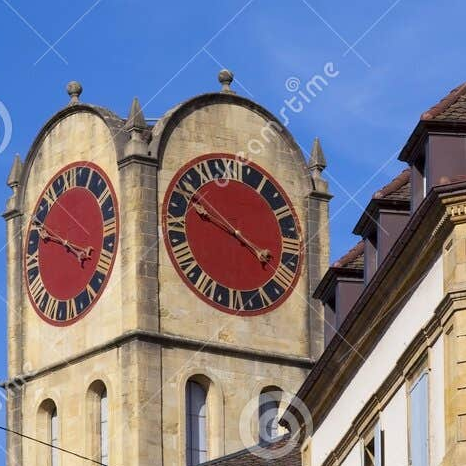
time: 3:48
